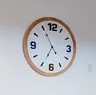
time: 6:55
